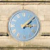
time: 3:08
